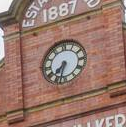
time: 7:32
